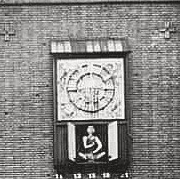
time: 6:15
